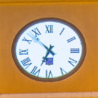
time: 6:52
